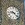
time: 9:22
